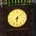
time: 6:07
